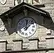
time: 12:07
